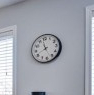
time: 11:41
